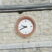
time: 9:41
